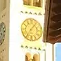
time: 7:06
